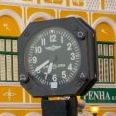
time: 6:40
